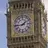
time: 1:43
